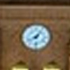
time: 8:06
